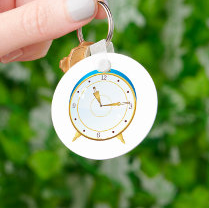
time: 11:13
